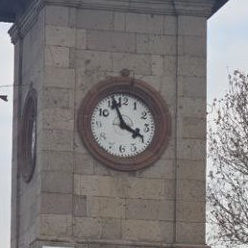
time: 3:56
